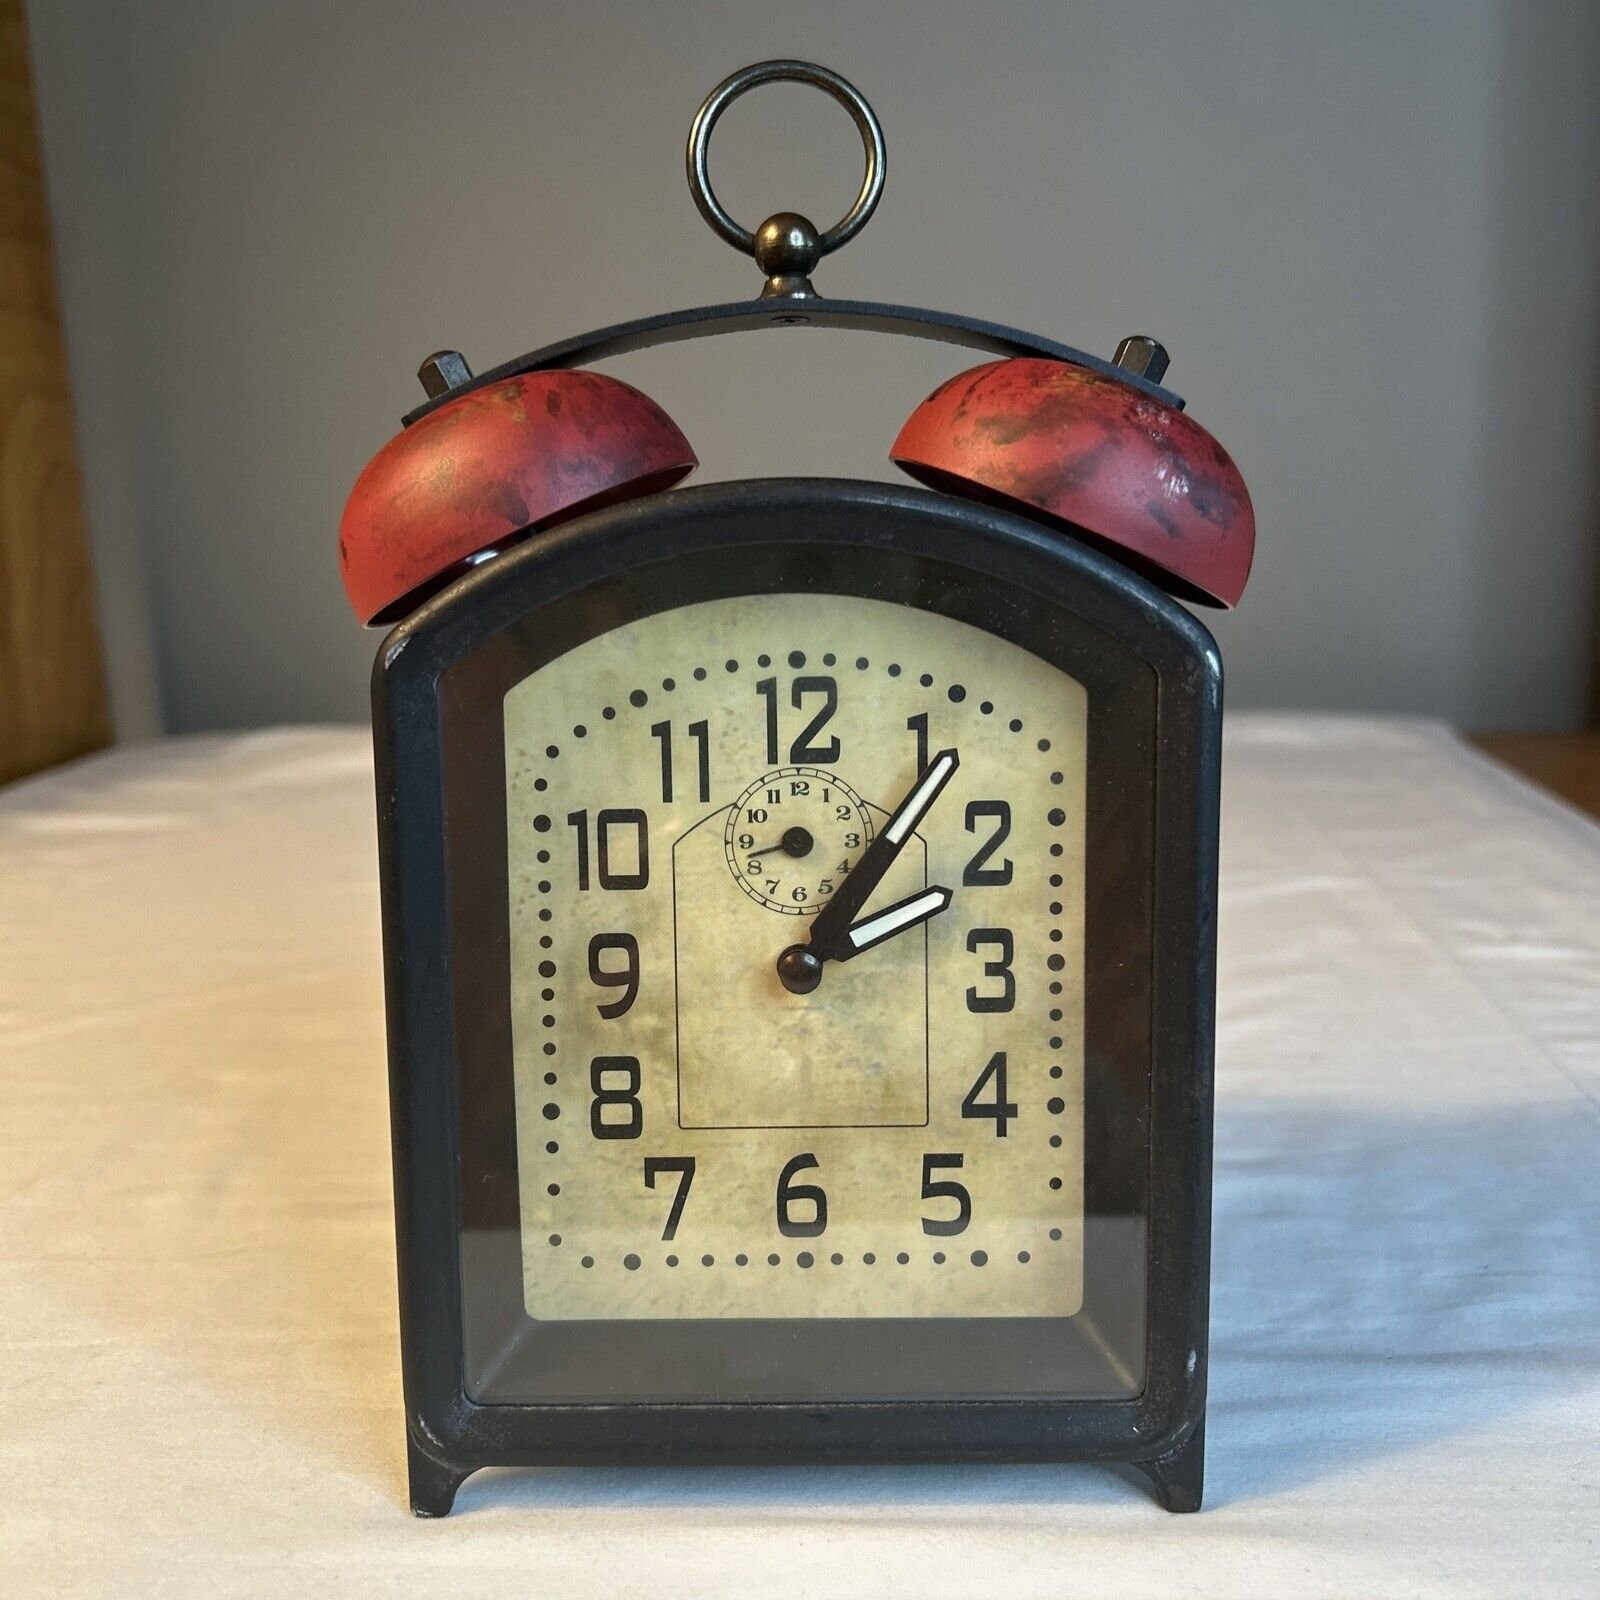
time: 2:06
